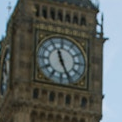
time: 11:25
